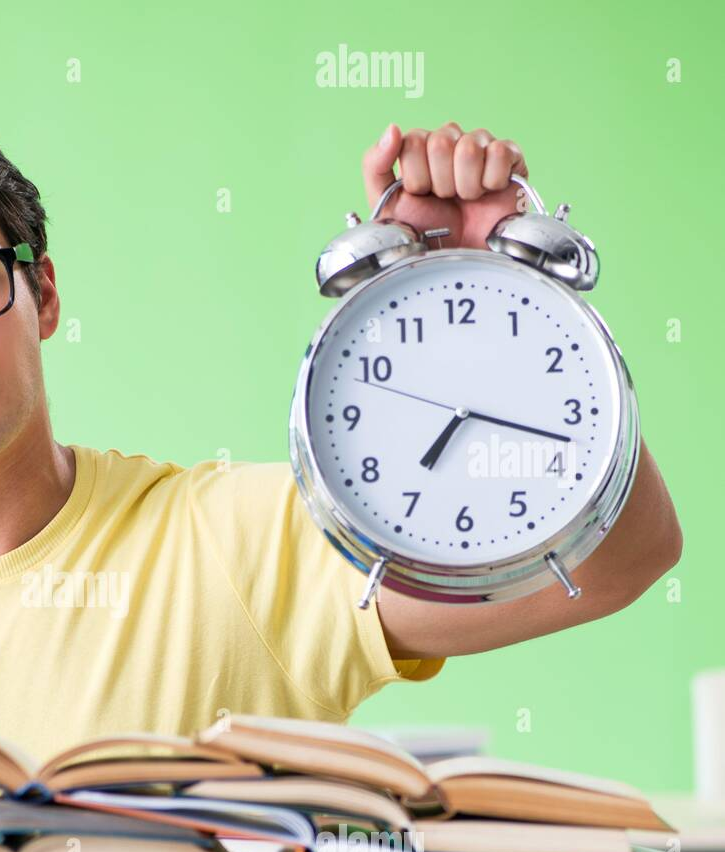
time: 7:17
